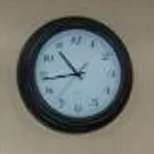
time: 10:43
